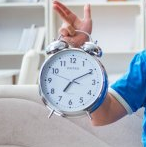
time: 7:10
